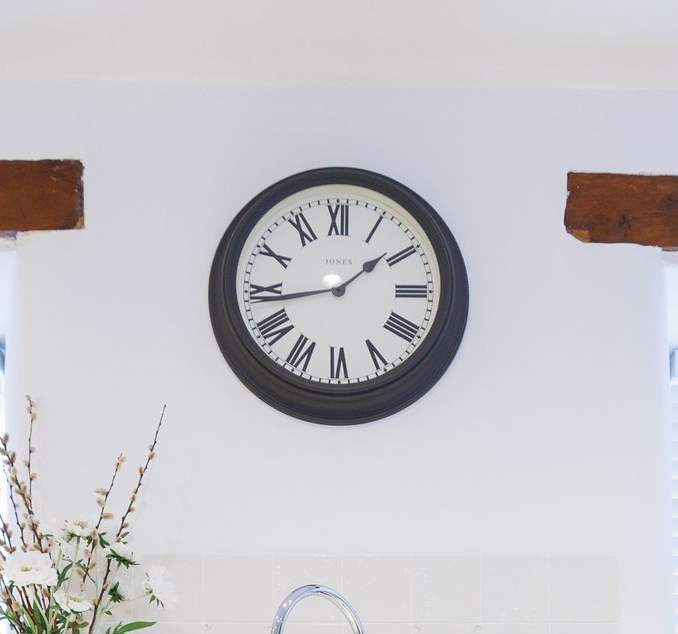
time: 1:43
